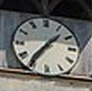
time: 1:36
